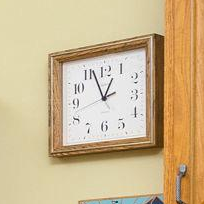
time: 12:56
